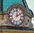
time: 2:01
